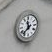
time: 11:37
